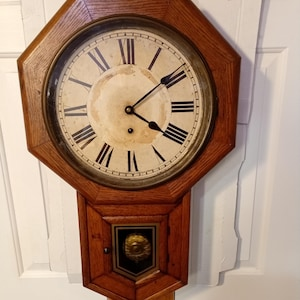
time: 4:08
